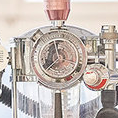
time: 11:37
